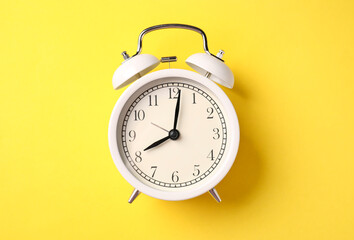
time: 8:01
